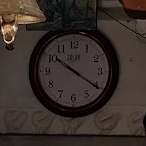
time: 10:20
